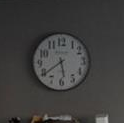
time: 5:39
